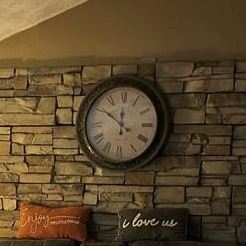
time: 11:50
